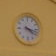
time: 4:17
